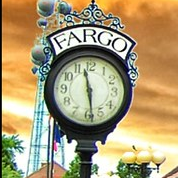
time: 11:28
